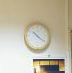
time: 10:20
